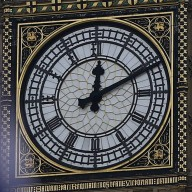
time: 12:10
